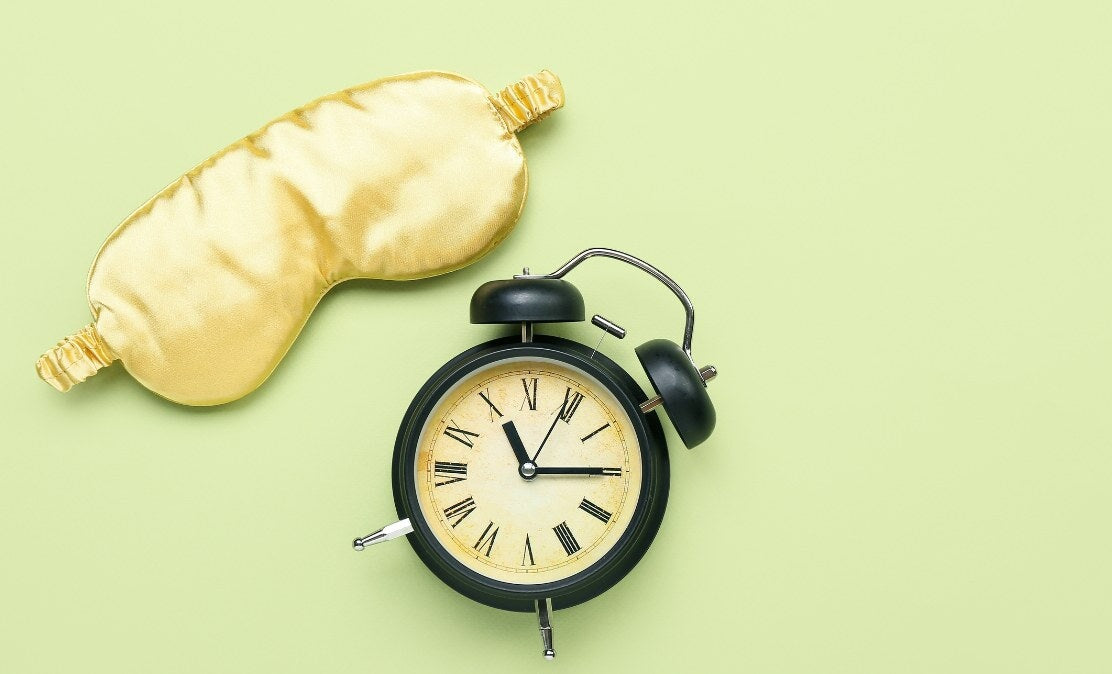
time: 11:14
